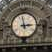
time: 2:58
